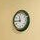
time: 11:44
